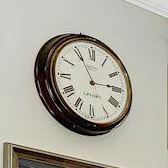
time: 2:55
